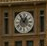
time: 12:54
